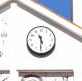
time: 11:30
